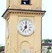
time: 7:00
